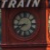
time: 8:38
